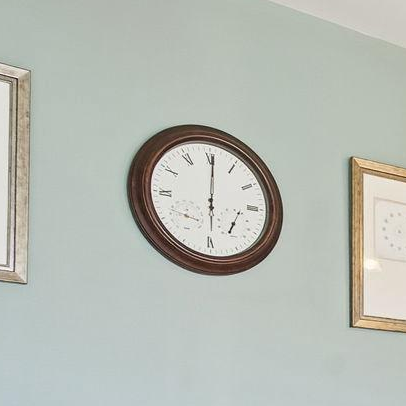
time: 6:00
